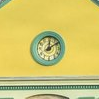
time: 12:09
